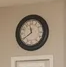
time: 11:39
